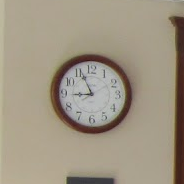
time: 8:56
